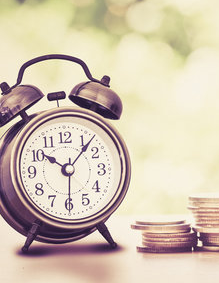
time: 10:07
